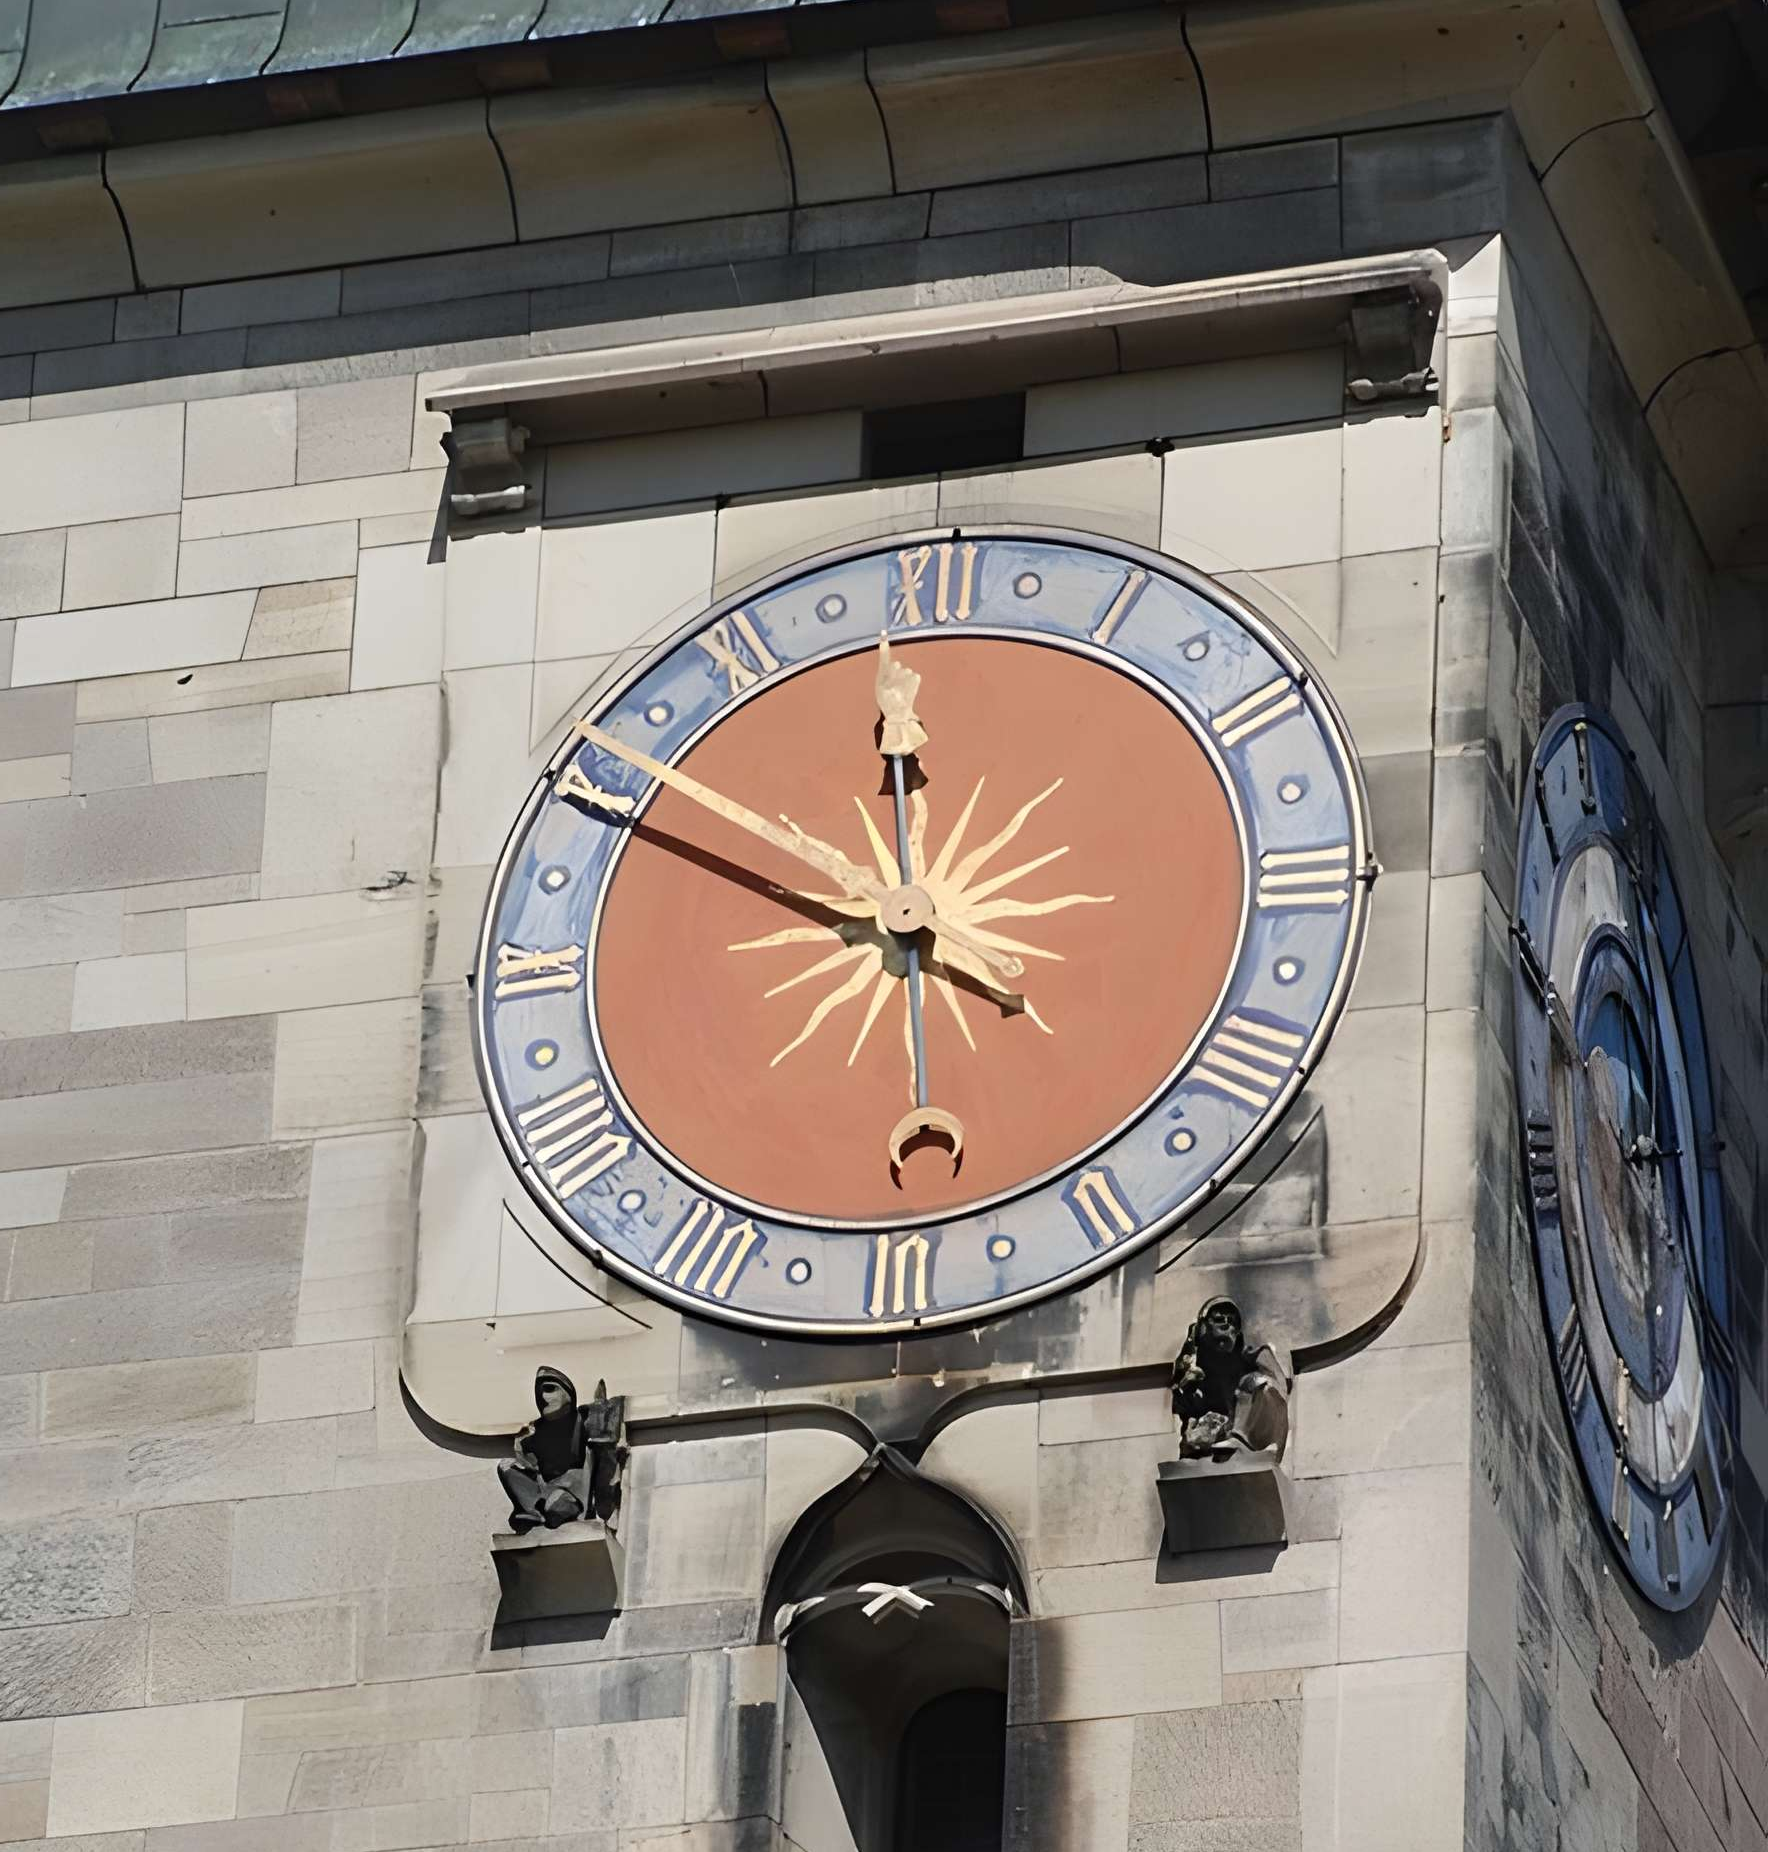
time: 11:49
